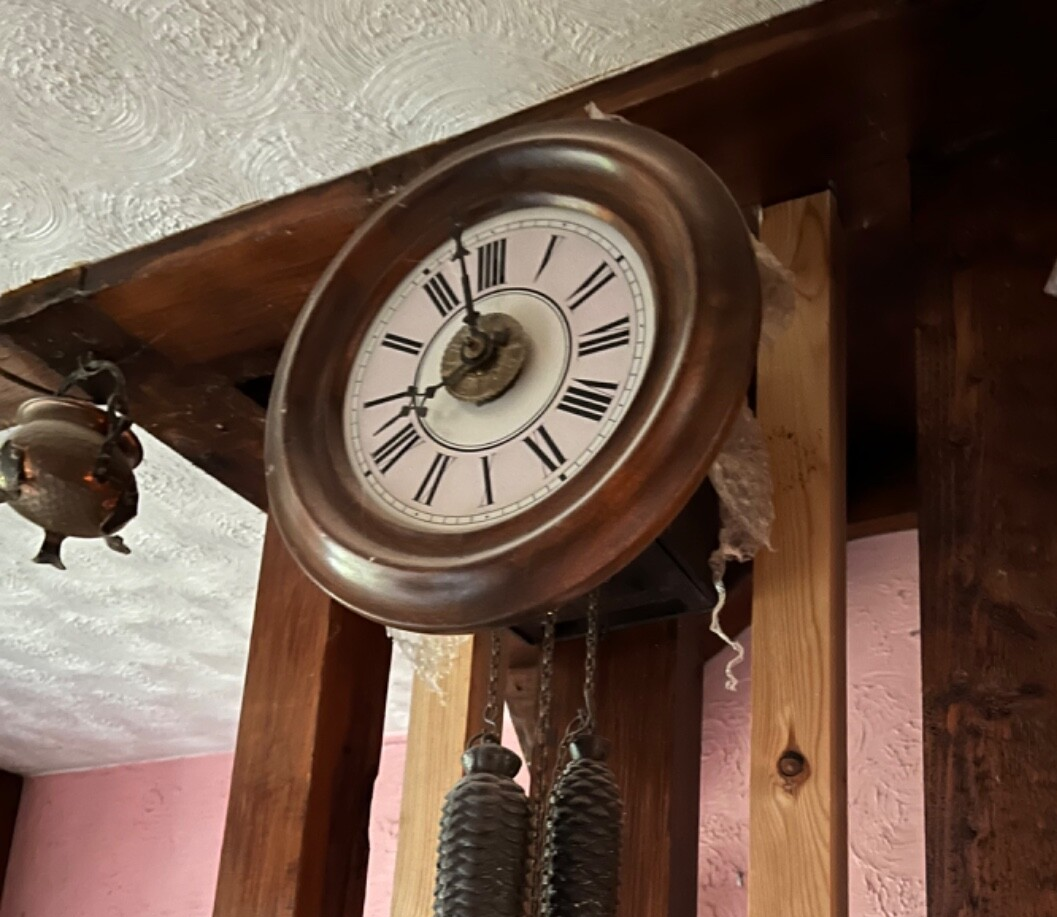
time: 8:57
